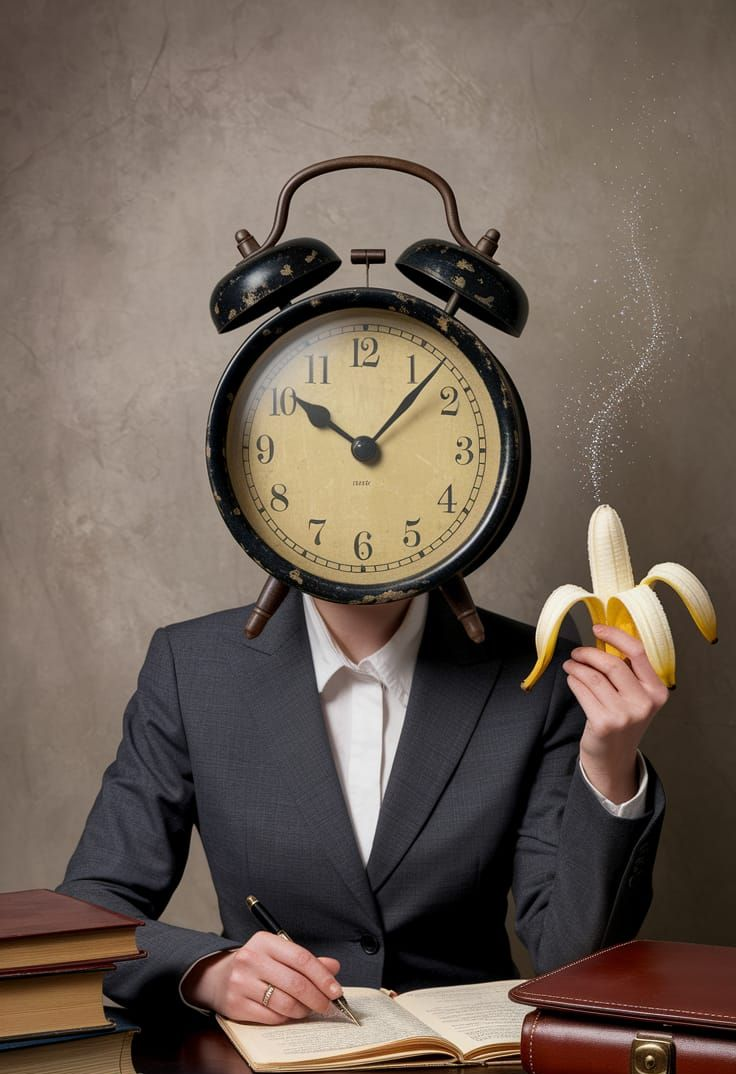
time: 10:07
